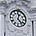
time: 12:23
